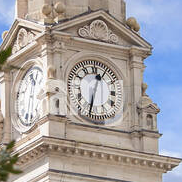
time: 12:32
